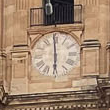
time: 5:59
